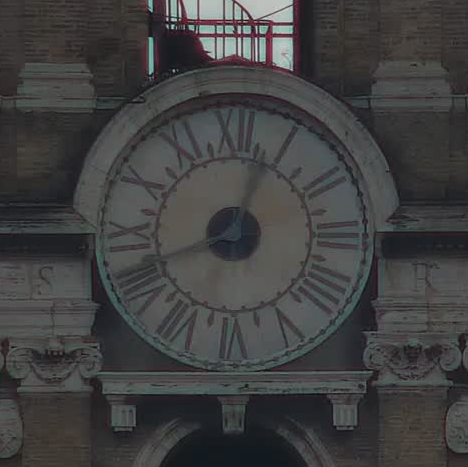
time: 12:41
